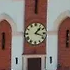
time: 1:18
